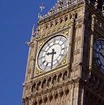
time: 9:30
